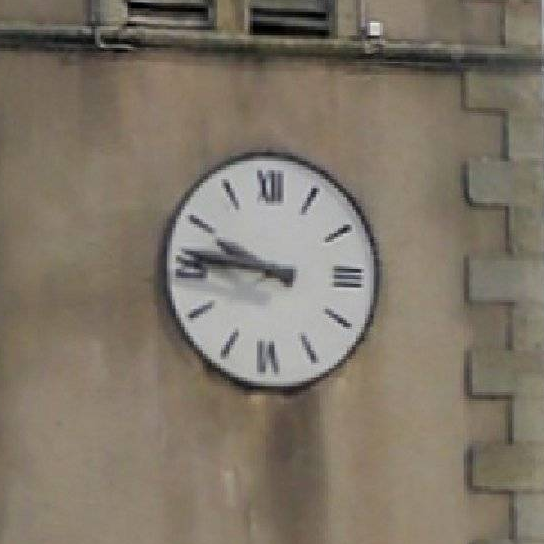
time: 9:45
